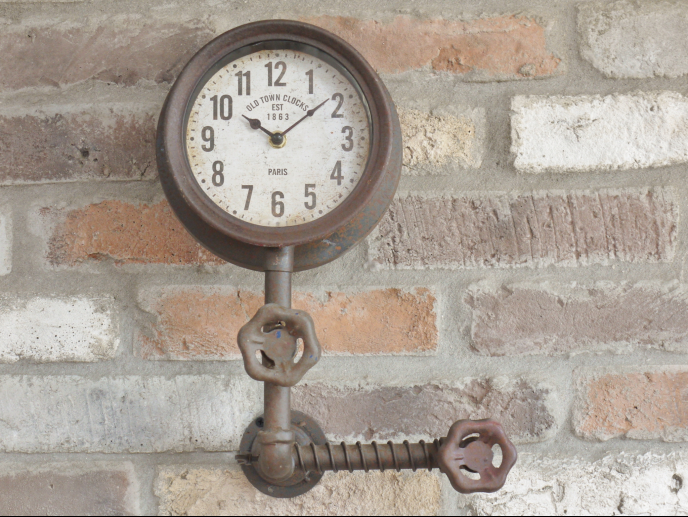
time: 10:08
